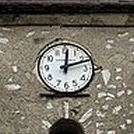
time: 12:11
